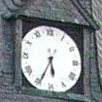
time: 5:34
